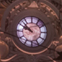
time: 9:51
